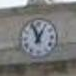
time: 12:56
